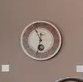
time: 11:32
